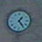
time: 1:24
